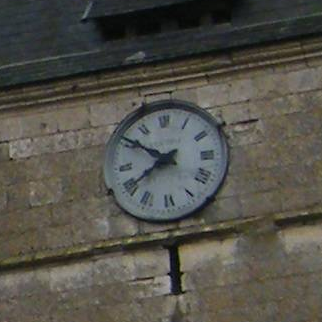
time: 7:50
